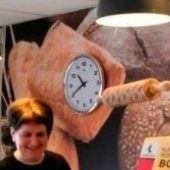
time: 10:40
